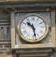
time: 10:28
